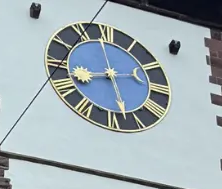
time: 8:27
